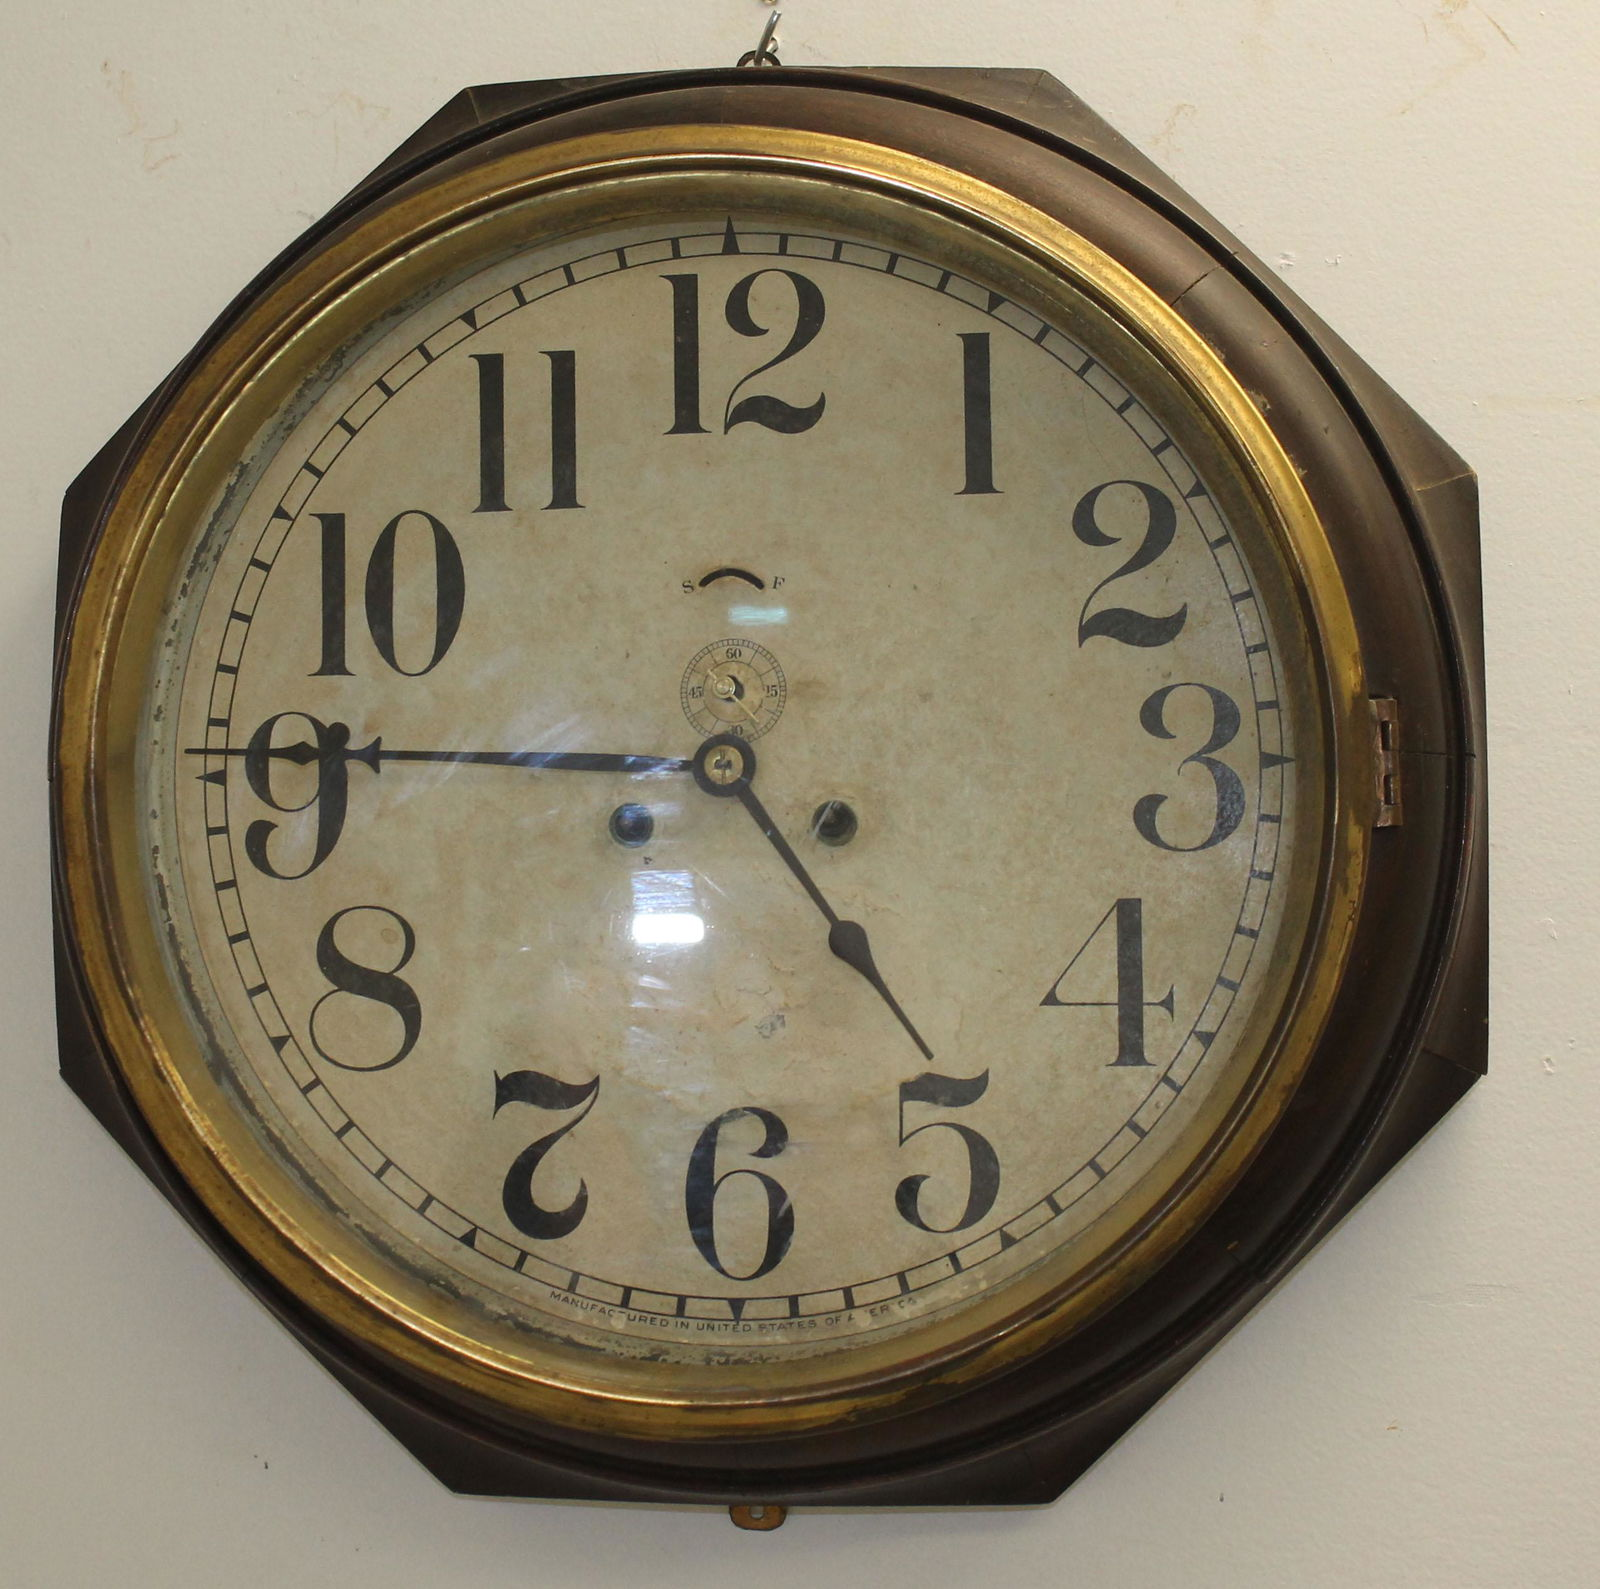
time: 4:45
